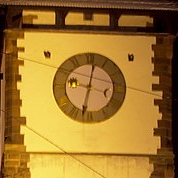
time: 12:32
